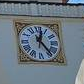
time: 12:23
